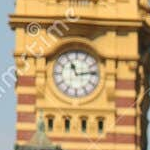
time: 11:13
